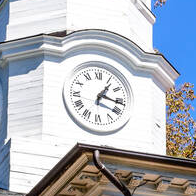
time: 1:16
